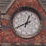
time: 12:40
